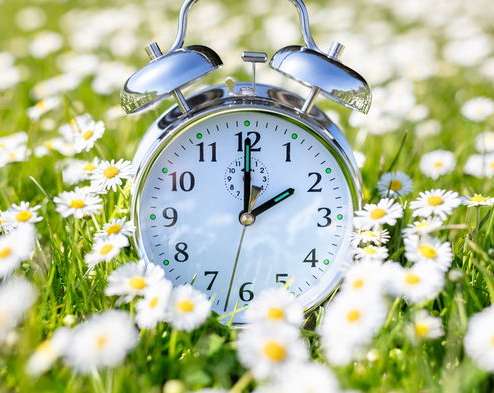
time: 2:00
